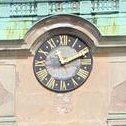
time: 11:10
